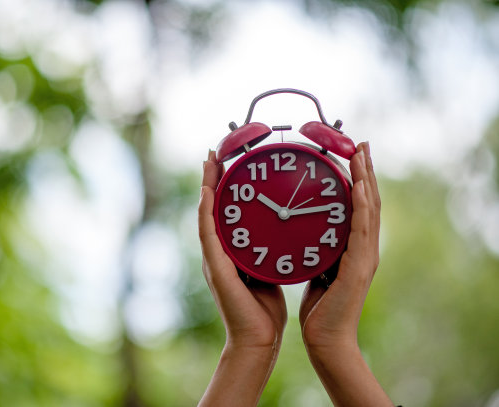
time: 10:13
